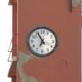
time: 6:55
